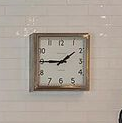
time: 1:45
